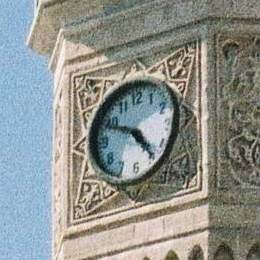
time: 4:49
